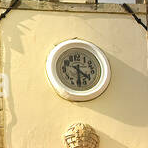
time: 4:29
